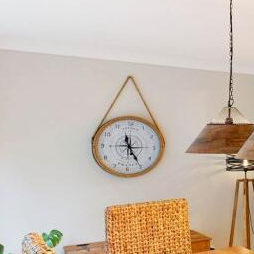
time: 11:24
